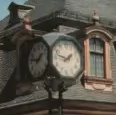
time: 1:46
